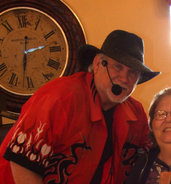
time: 2:31
